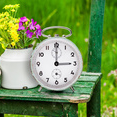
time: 3:00
